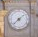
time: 1:37
